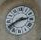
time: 2:40
